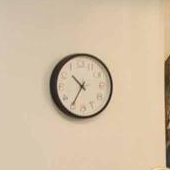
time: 10:35
